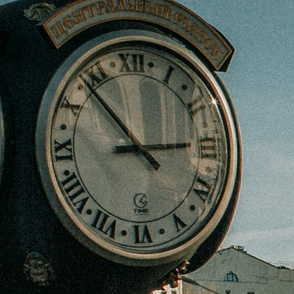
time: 2:53
